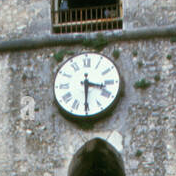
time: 3:30
